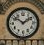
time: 1:51
